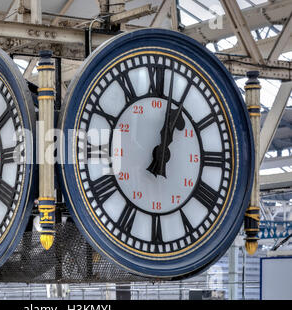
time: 1:02
